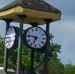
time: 6:46
